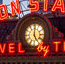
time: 5:00
